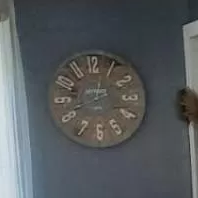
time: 12:41
